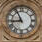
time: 8:55
